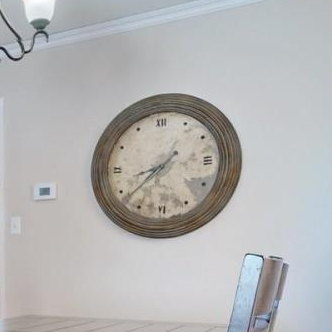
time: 8:38
